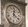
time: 12:21
